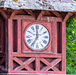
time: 6:59
